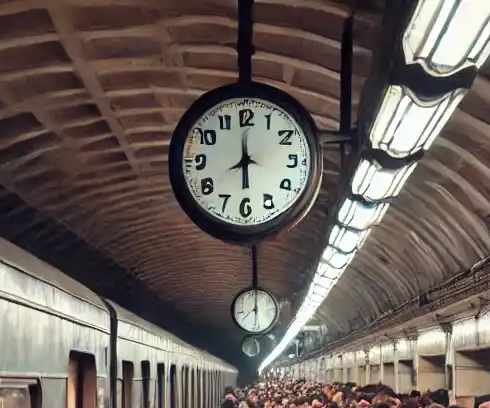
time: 5:59
